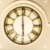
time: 5:59
